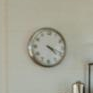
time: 4:18
